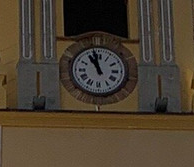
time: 10:57
